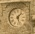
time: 1:26
